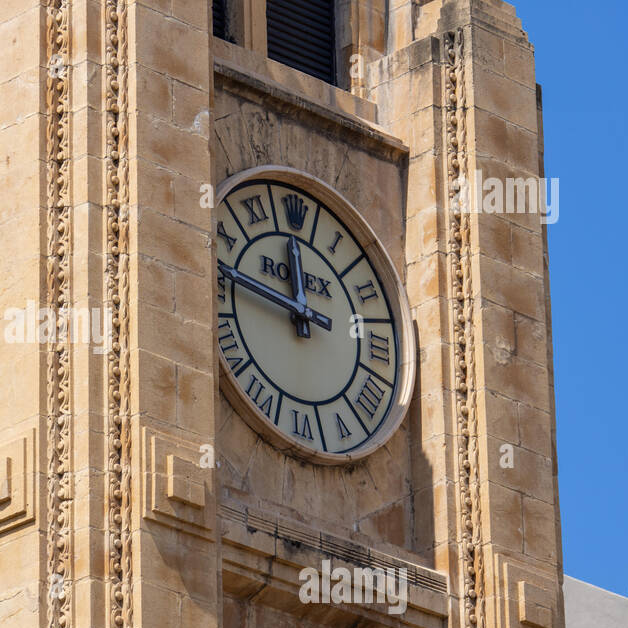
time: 11:46
